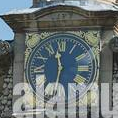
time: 11:32
